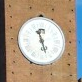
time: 11:27
